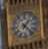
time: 1:22
